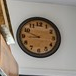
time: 8:48
